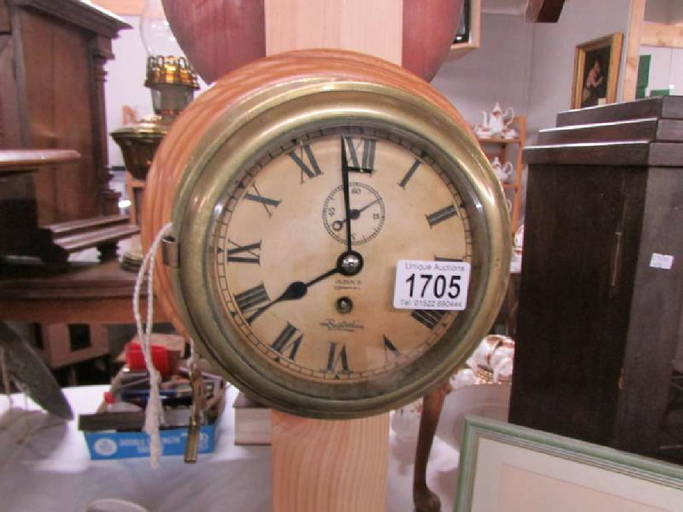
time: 7:58
